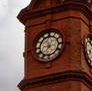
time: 6:56
